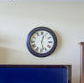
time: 12:27
